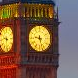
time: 9:27
